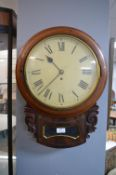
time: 10:37
